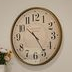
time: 10:24
